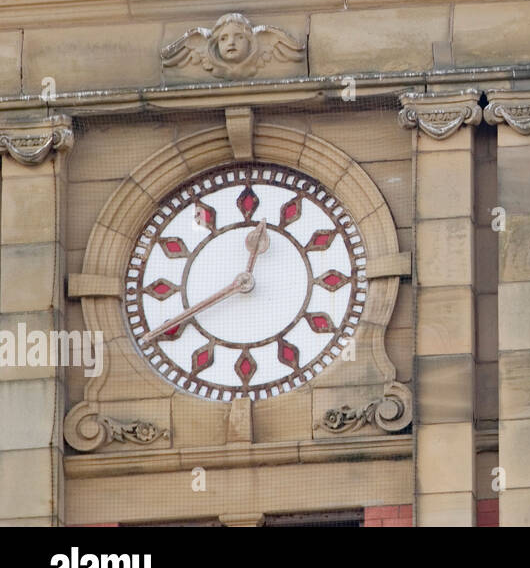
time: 12:40
